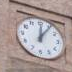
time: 12:05
